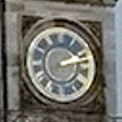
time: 2:12
